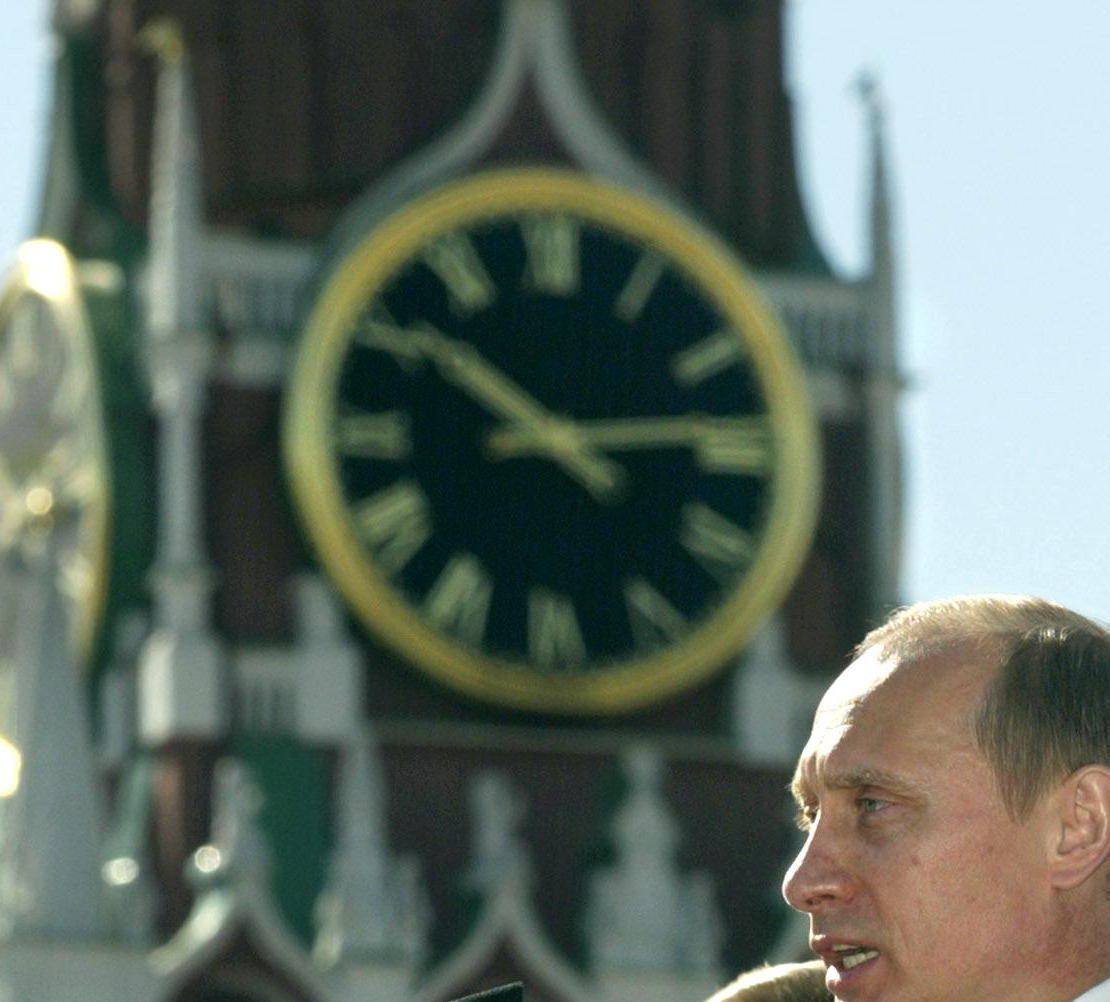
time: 10:13
